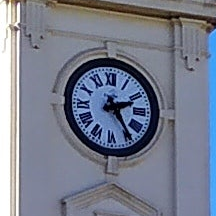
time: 2:24
